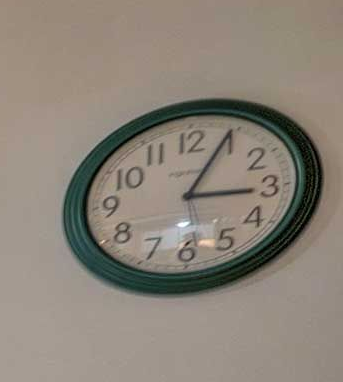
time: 3:04
